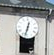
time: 12:32
